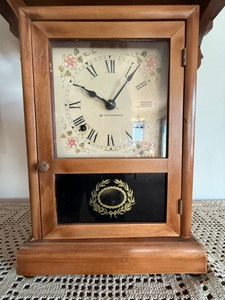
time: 10:06
